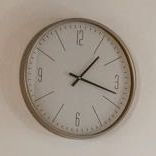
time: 1:17
